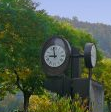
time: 8:58
